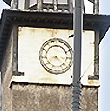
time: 8:21
